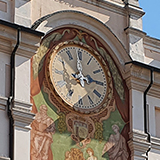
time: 2:58
